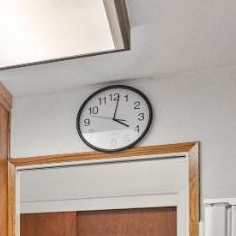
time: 4:01
